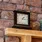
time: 1:16
